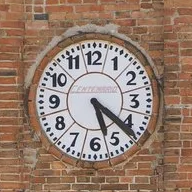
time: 5:21
